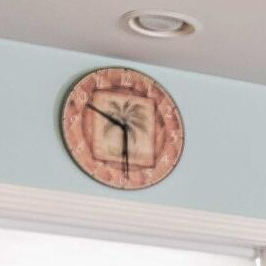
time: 5:49
